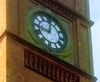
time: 9:01
